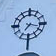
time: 7:17
